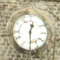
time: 12:29
